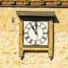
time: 11:00
